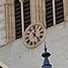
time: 12:23
